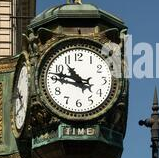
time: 10:47
